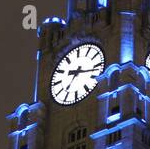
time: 7:17
